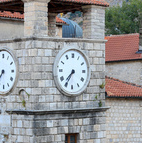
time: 7:35
